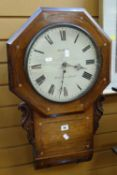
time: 3:31
